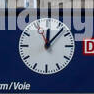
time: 12:07
